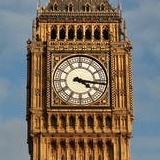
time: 4:16
